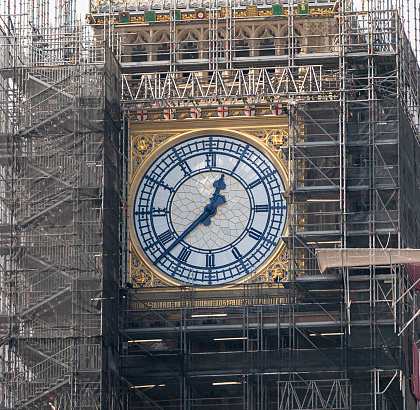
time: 12:37
